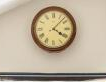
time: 4:07
